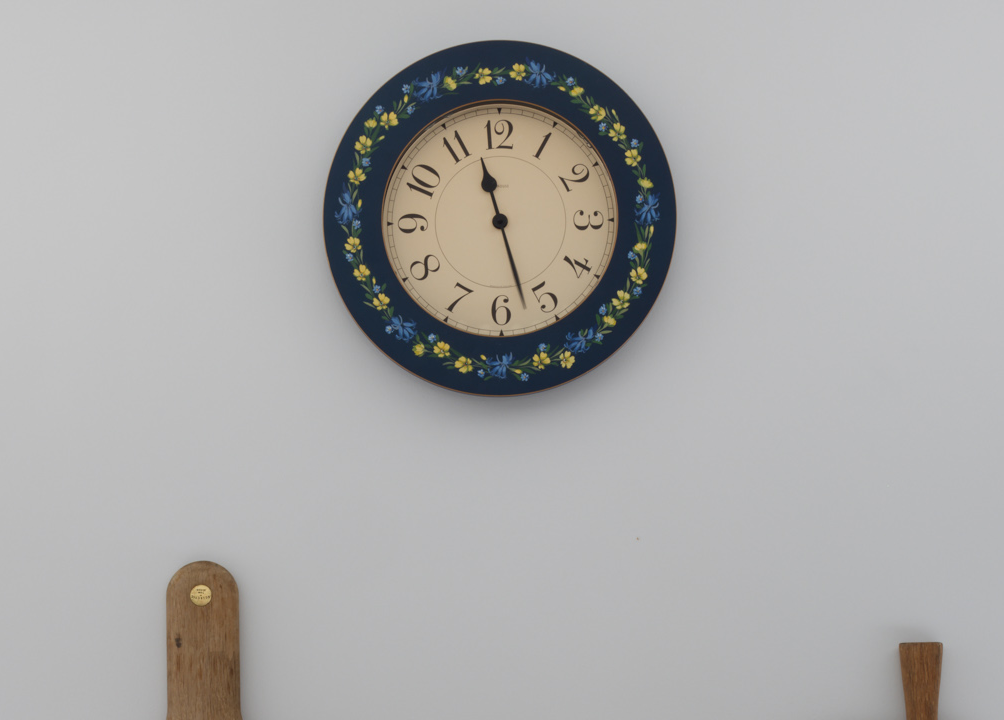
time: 11:27
